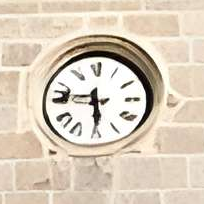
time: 5:46
